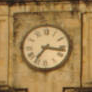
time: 7:16
